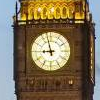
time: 8:57
